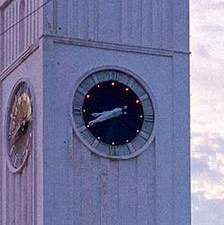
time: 8:40
